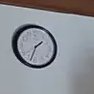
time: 1:33
